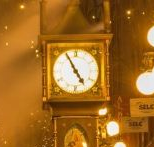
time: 4:55
